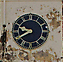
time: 9:40
